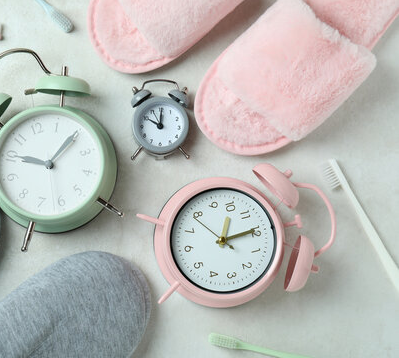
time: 12:09
